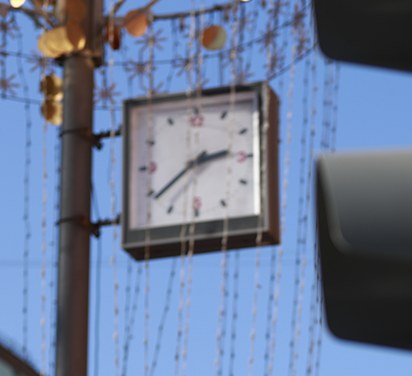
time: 2:38
